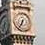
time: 6:34
